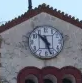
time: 10:26
